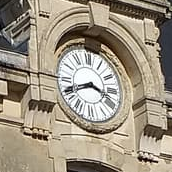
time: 3:41
